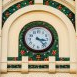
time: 3:22
